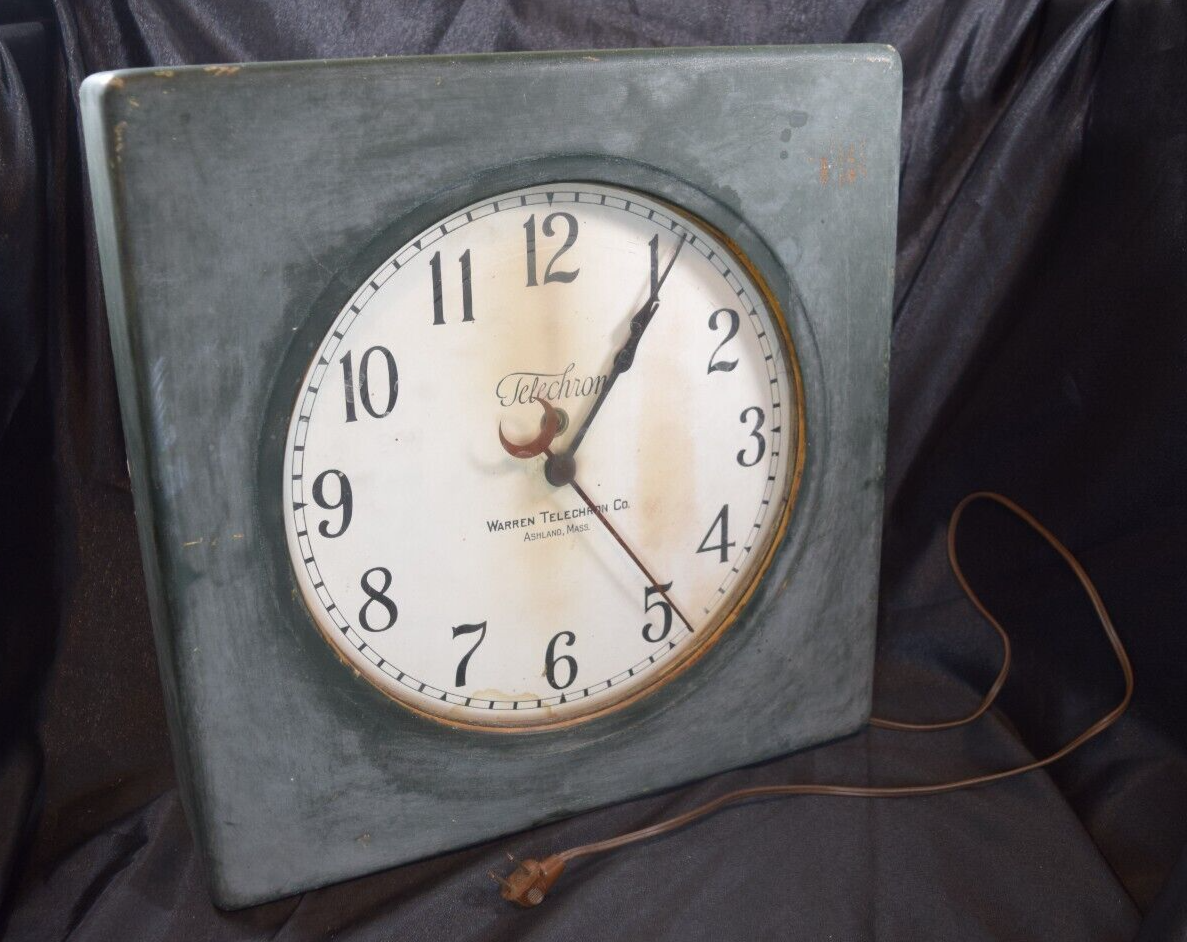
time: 1:05
